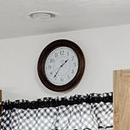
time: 1:36
